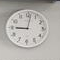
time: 9:01
